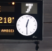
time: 12:29
